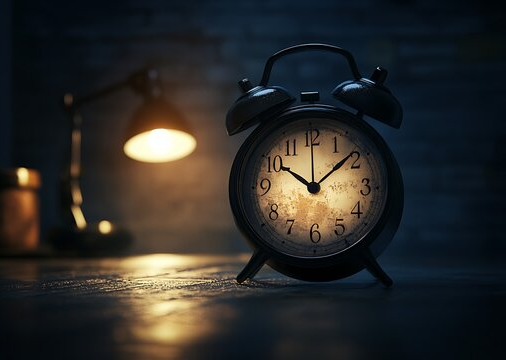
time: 10:08
